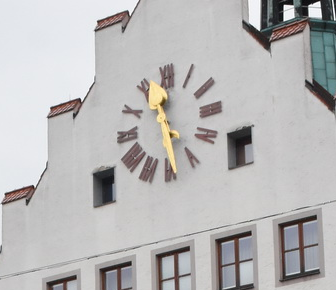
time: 11:28
